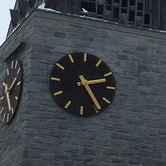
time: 2:24
